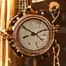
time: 8:11
